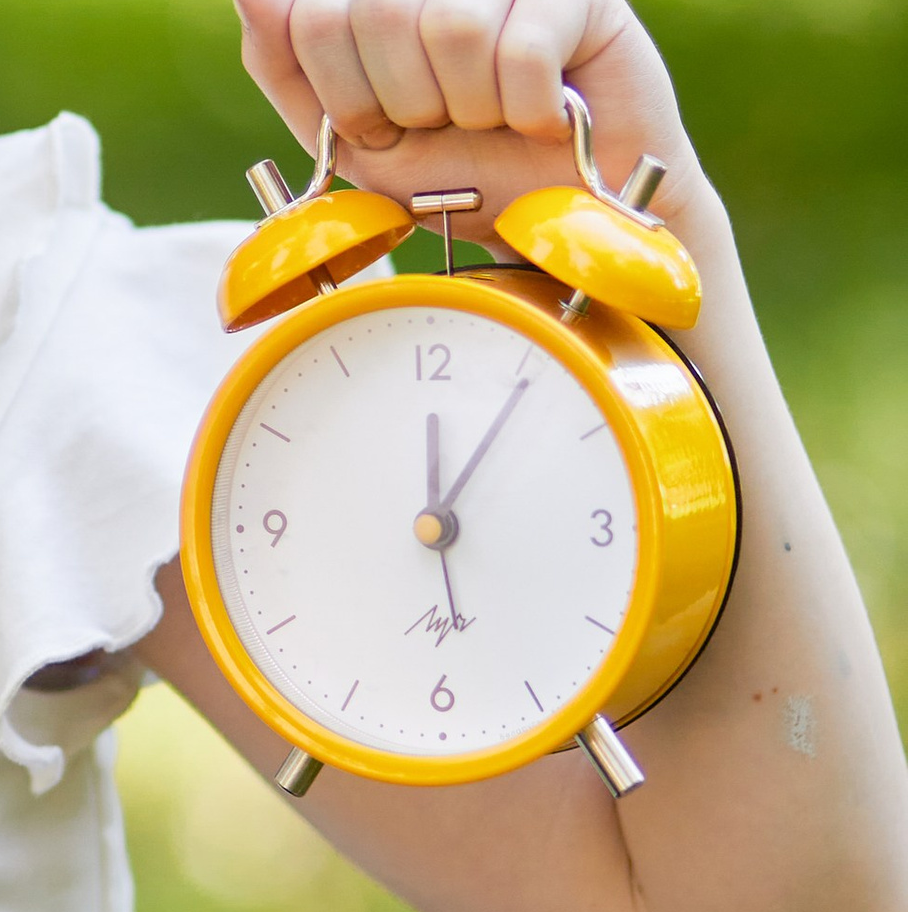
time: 12:05
